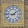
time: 1:46
